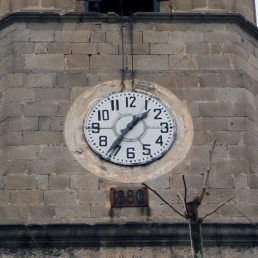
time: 1:35
